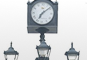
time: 7:08
